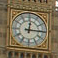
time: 12:15
